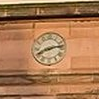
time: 8:12
